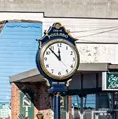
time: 11:53
